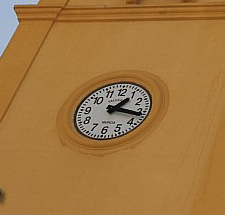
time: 1:16
